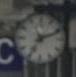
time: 7:11
